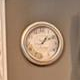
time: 1:10
